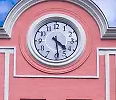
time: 4:29
